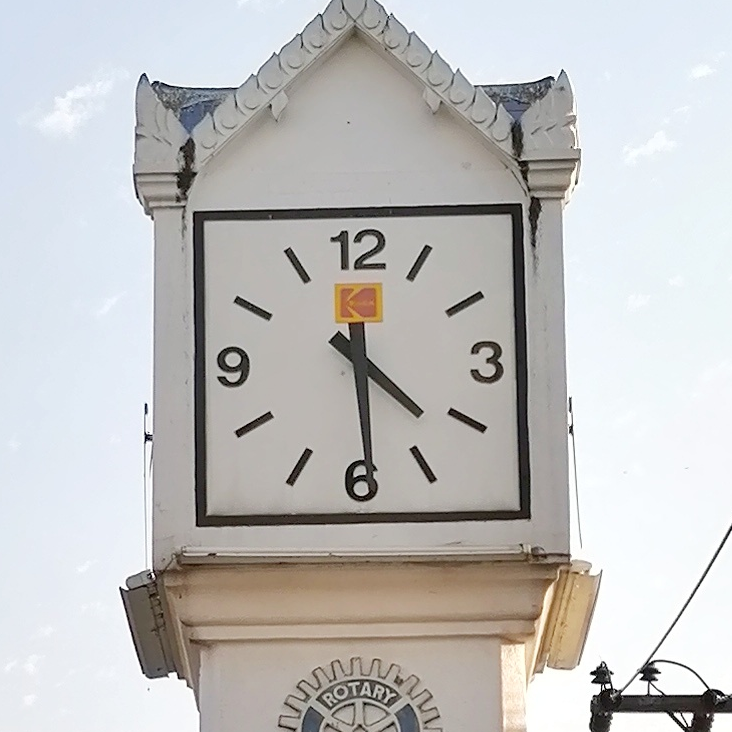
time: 4:29
